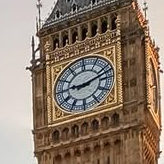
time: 9:12
